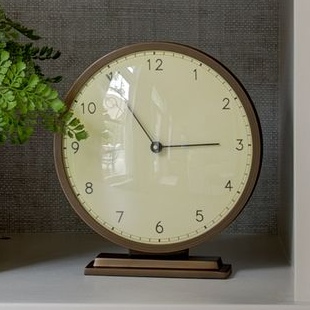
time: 2:53
